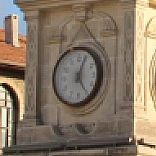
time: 5:03
